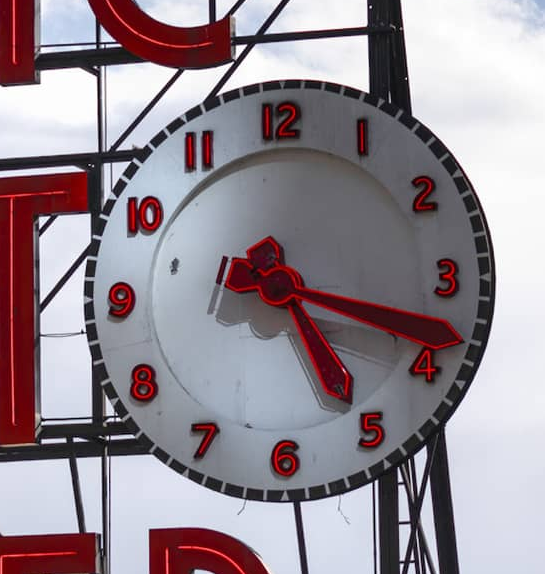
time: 5:18
